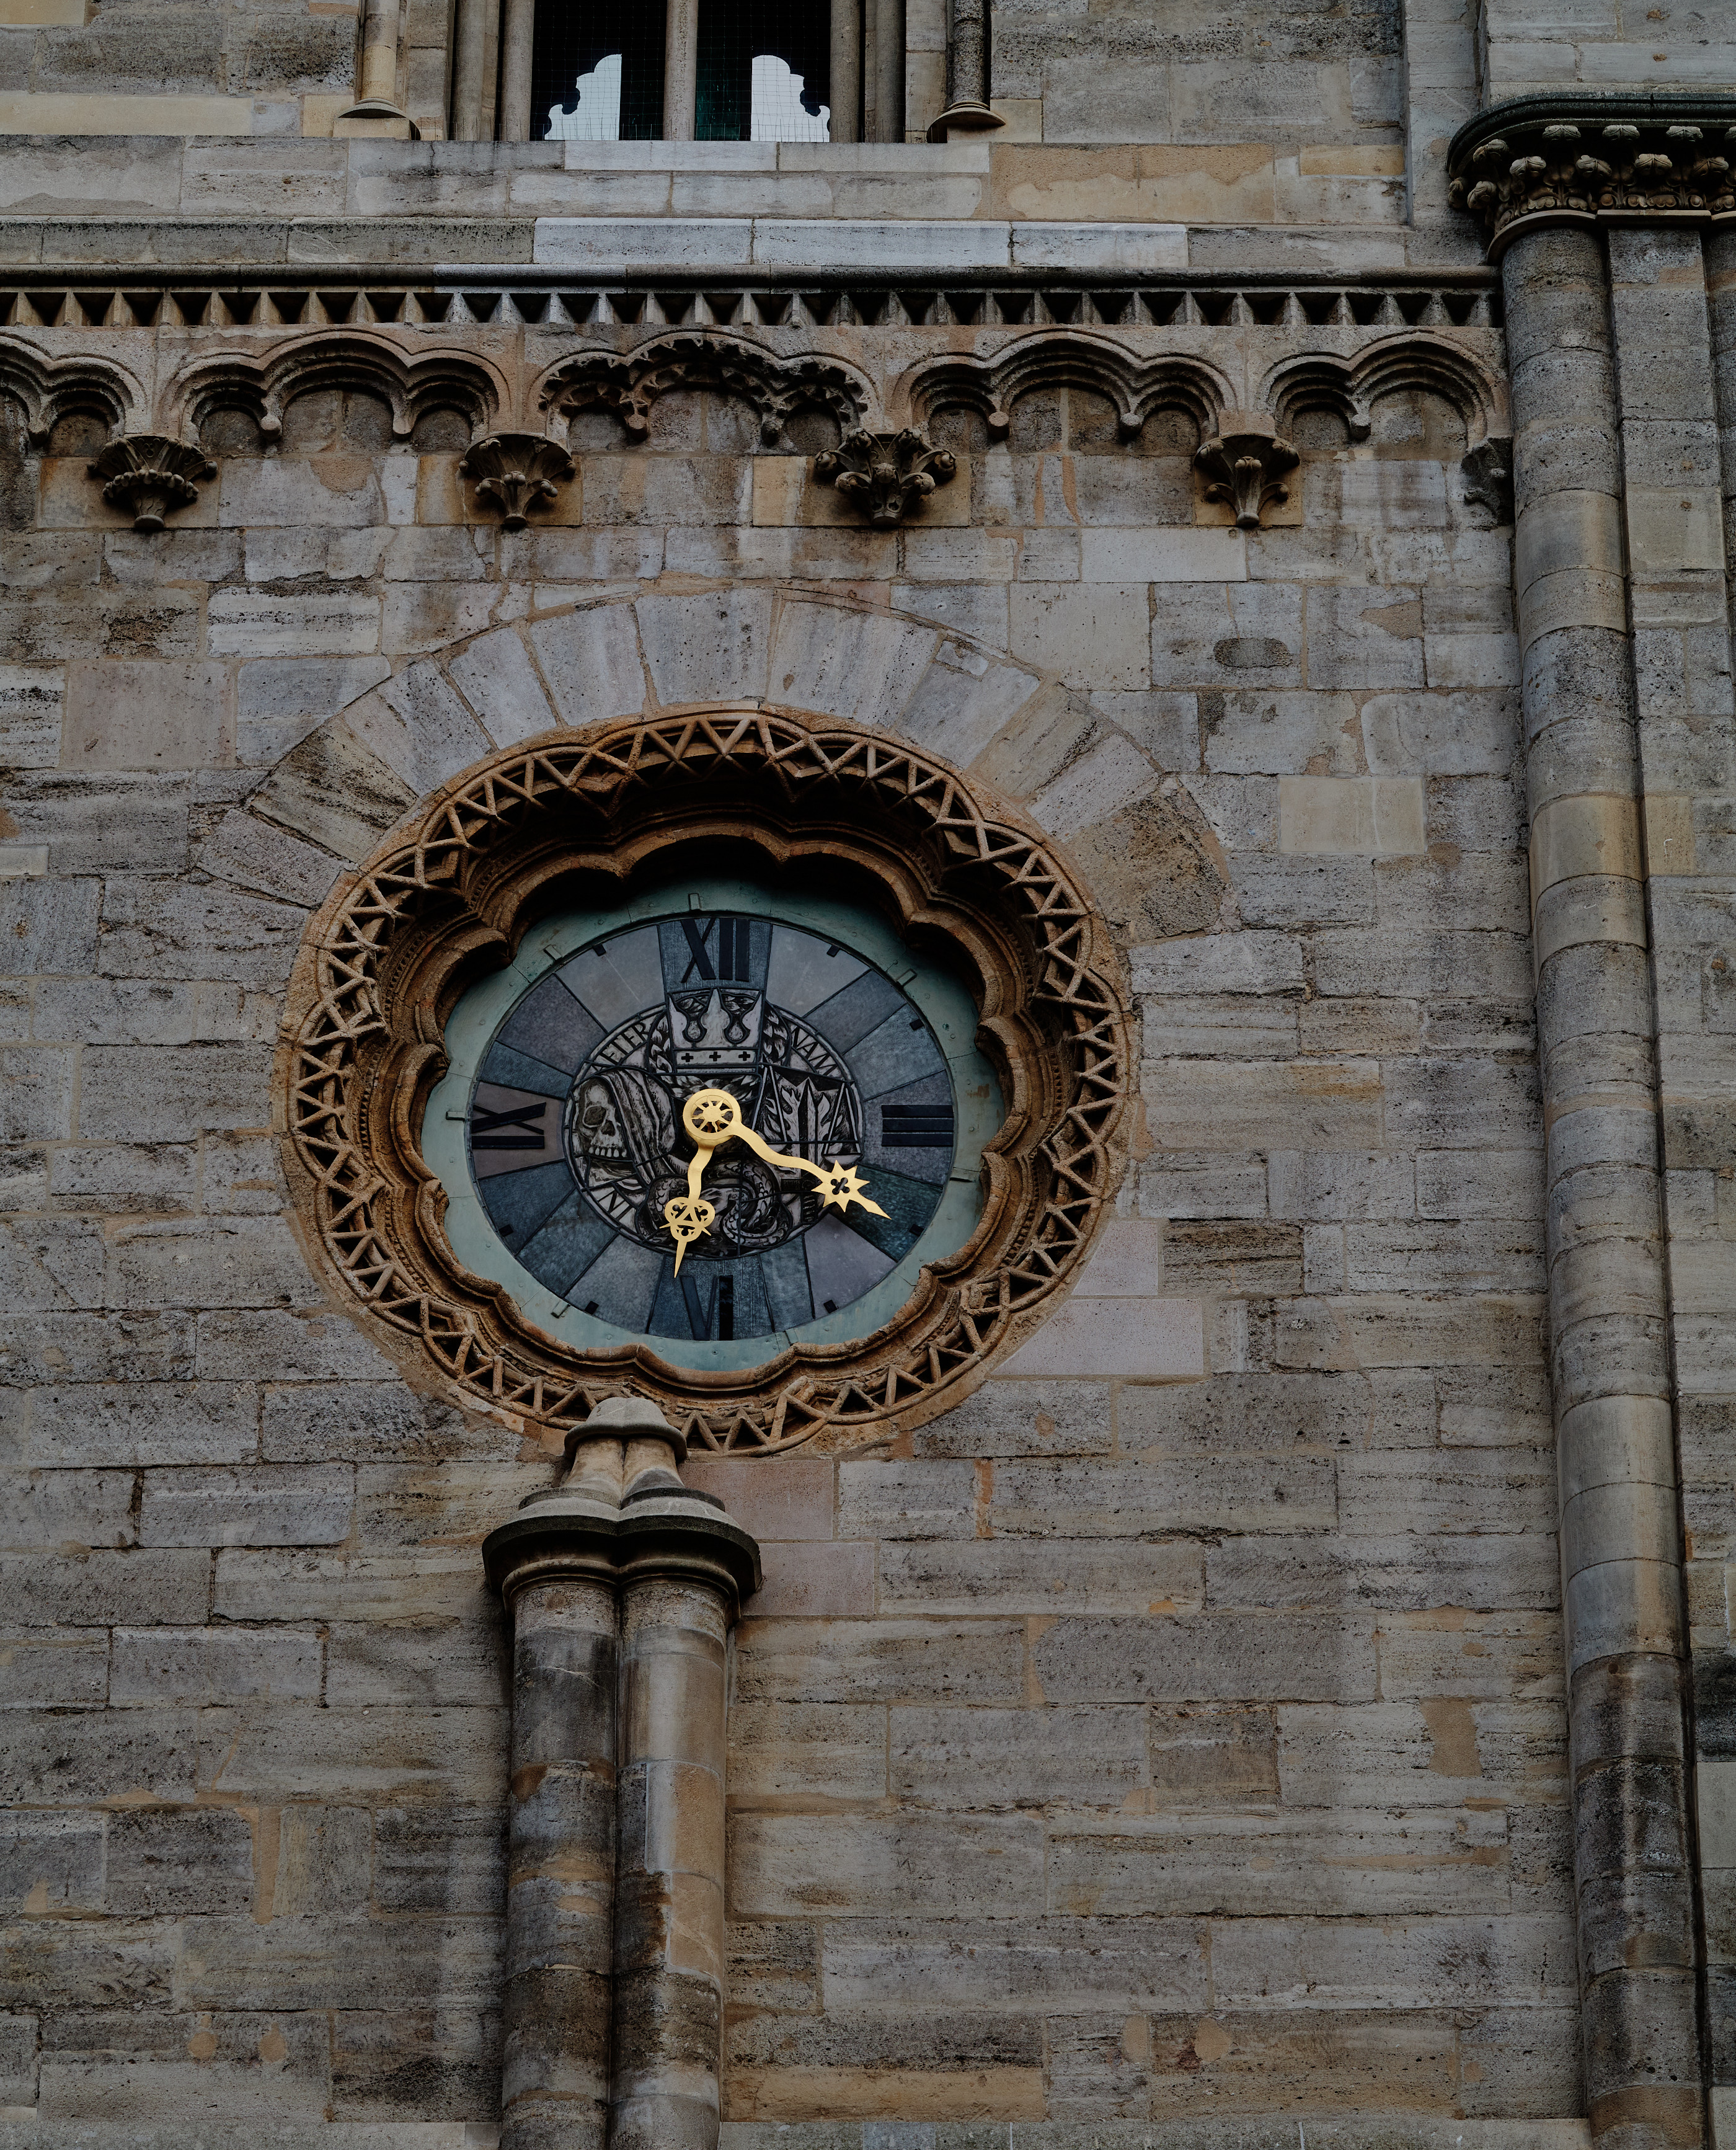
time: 6:18
